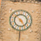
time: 4:52
